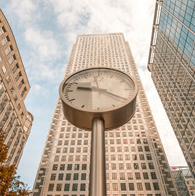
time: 9:20
